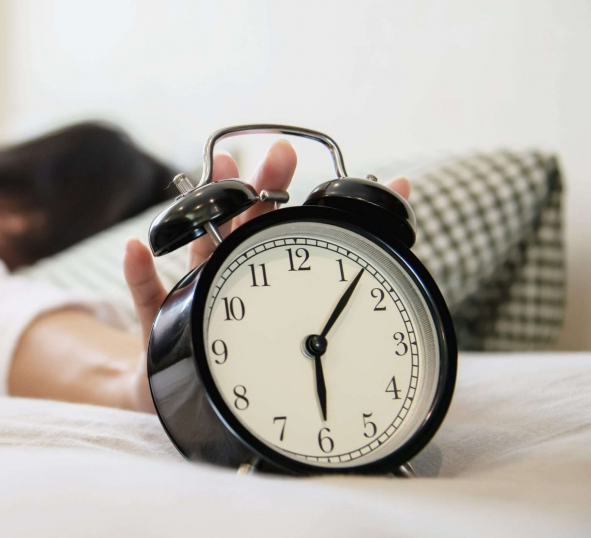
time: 6:06
